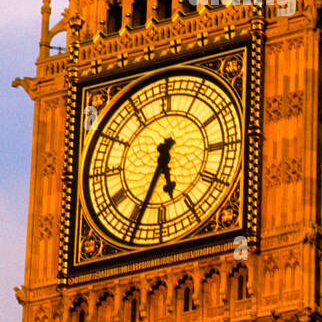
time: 5:34
